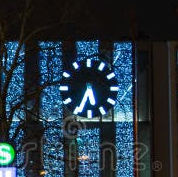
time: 5:34
